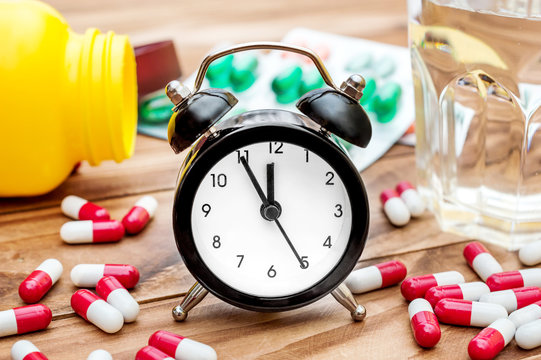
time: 11:55
